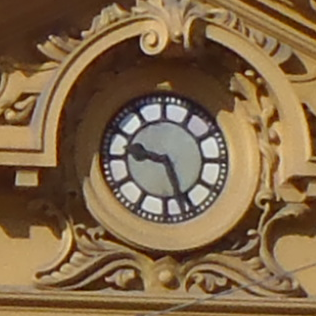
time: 9:26
